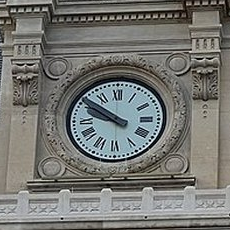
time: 9:51
